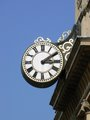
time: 3:09
